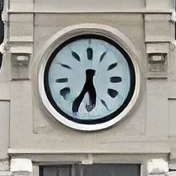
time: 5:34
